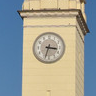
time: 3:33
